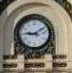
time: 9:10
